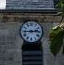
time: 2:44
